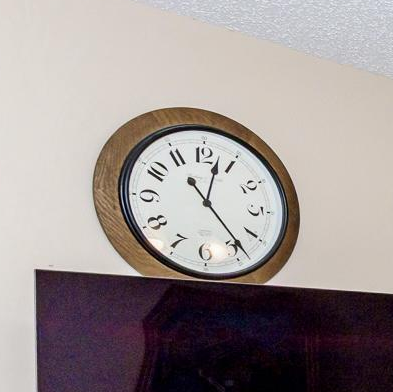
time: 12:23
